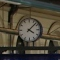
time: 4:07
